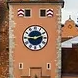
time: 2:45
